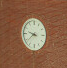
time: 9:38
